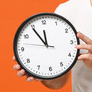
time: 11:54
